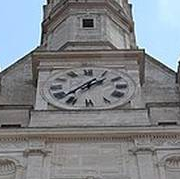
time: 1:37
